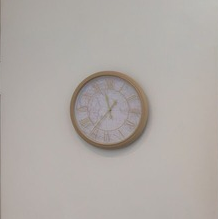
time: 11:36
